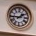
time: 1:44
